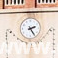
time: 2:24
